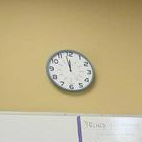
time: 11:57
